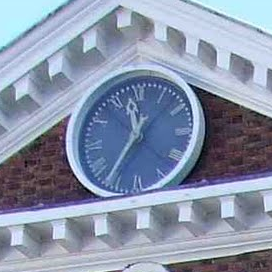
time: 11:35
